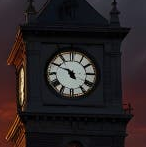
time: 4:49
